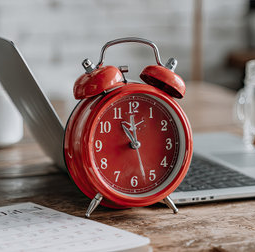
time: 10:59
